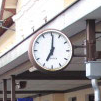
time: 7:00
